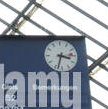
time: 3:32
